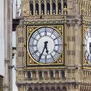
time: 5:34
